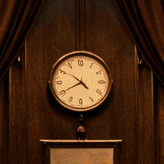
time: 4:40
